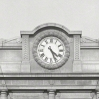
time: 4:26
